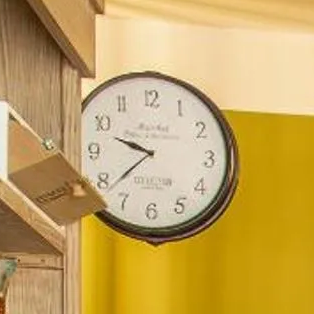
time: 9:38
